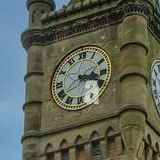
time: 3:18
